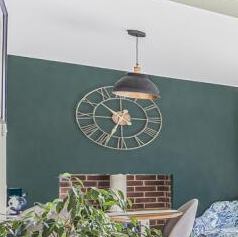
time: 10:34
